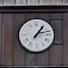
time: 1:12
